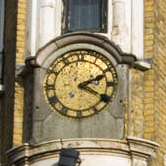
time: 2:19
